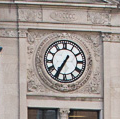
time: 7:35
